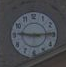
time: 9:15
